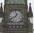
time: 12:40
